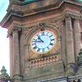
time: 10:47
